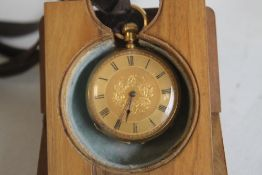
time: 6:34
